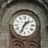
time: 1:33
